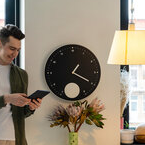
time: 1:19
